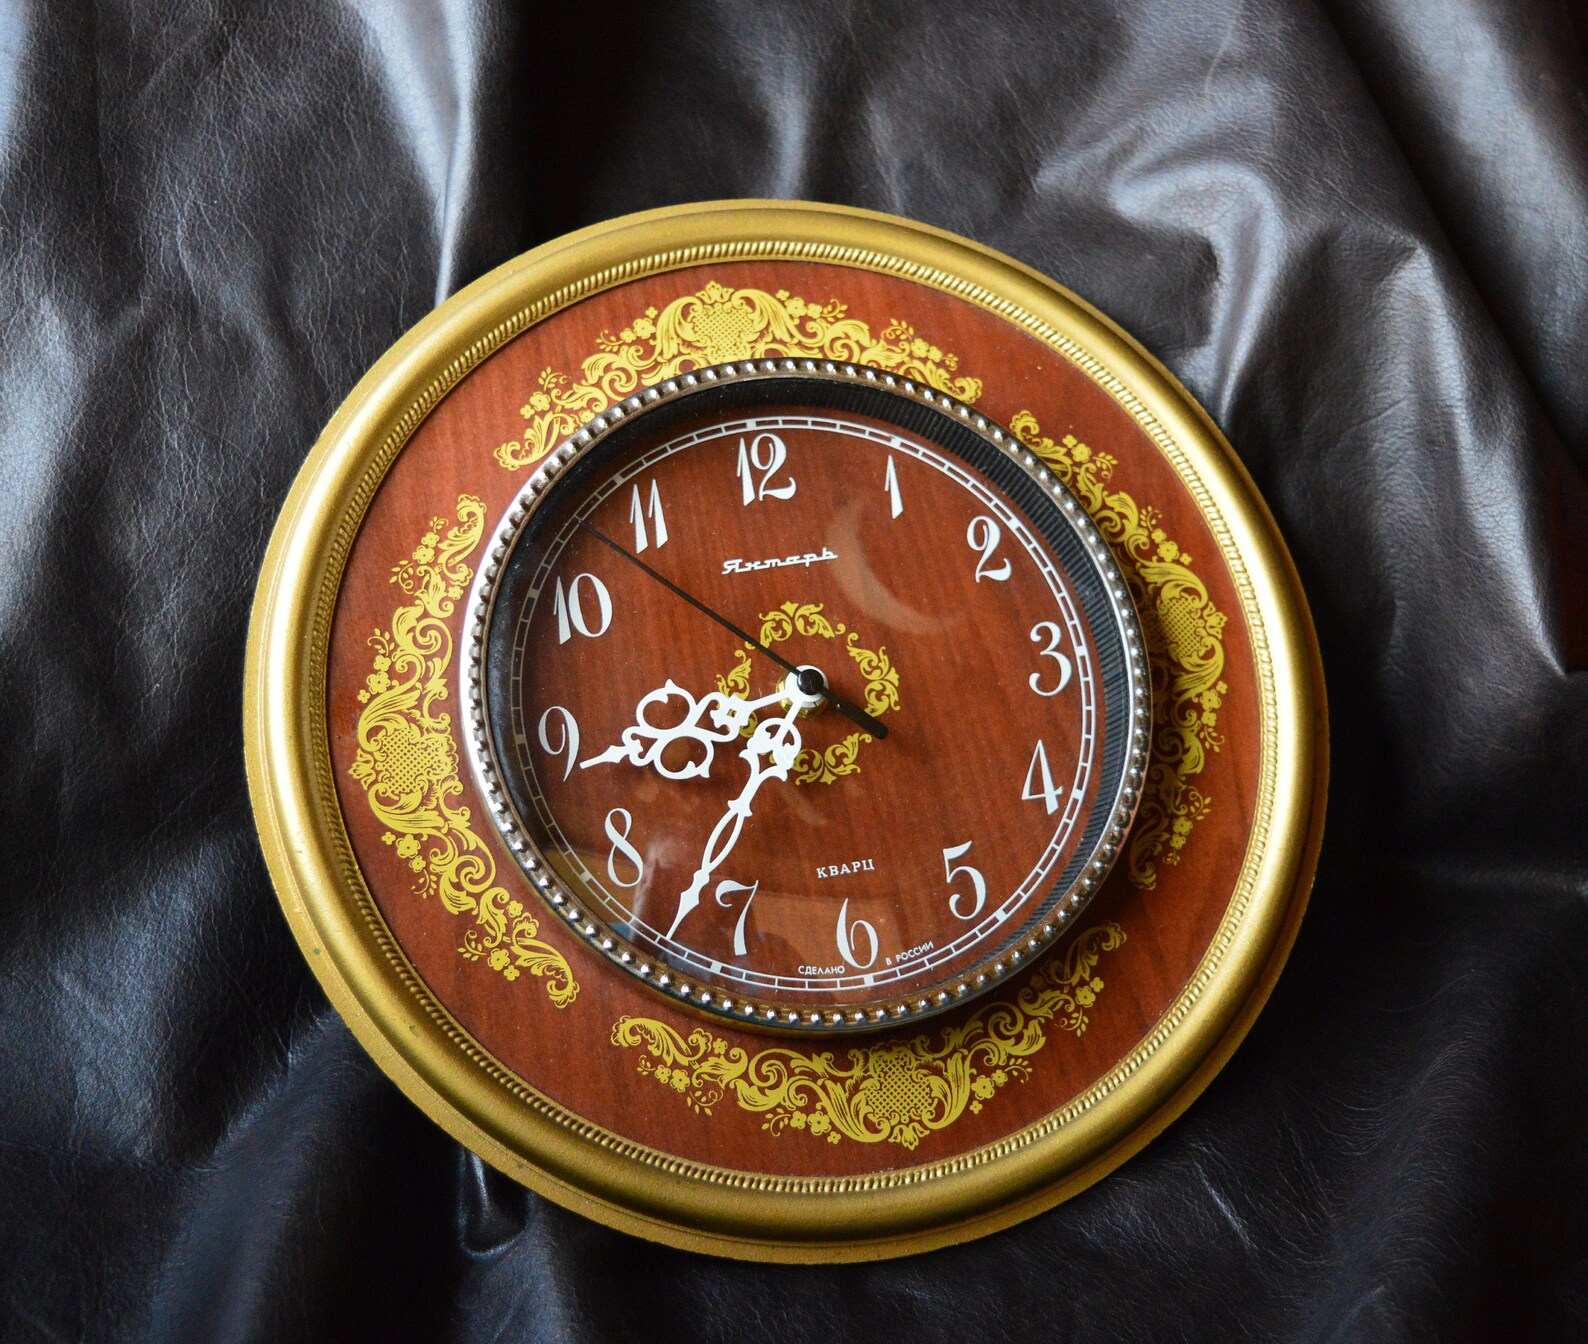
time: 8:36
